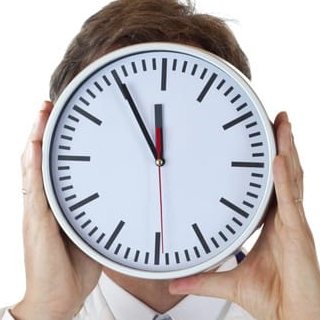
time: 11:54
